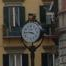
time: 3:44
